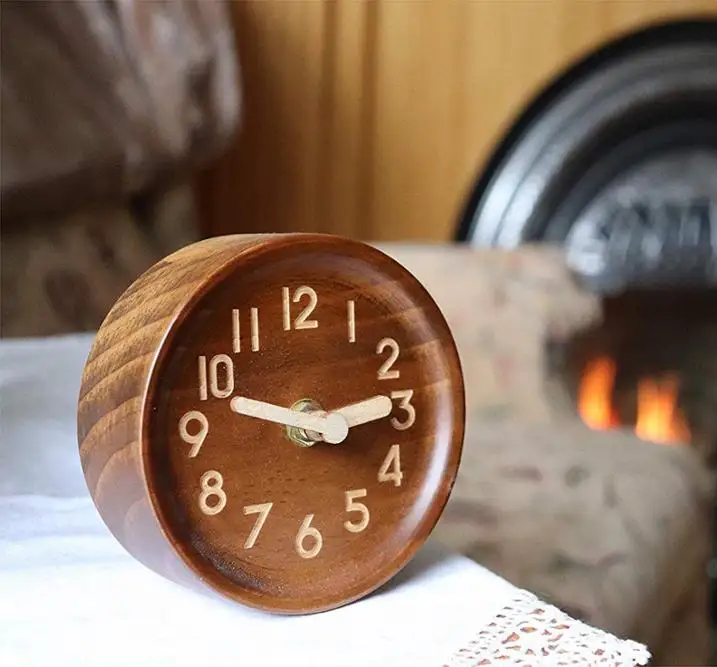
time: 2:48
